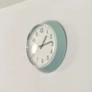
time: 1:13
